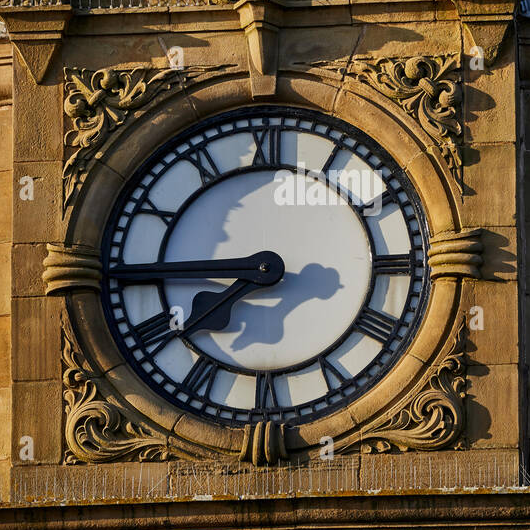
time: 7:44
